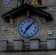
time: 7:07
